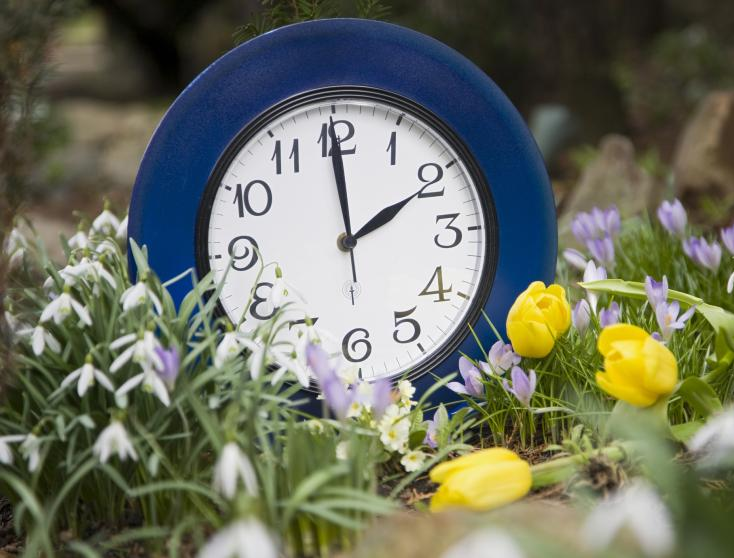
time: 1:59
